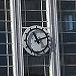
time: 11:12
